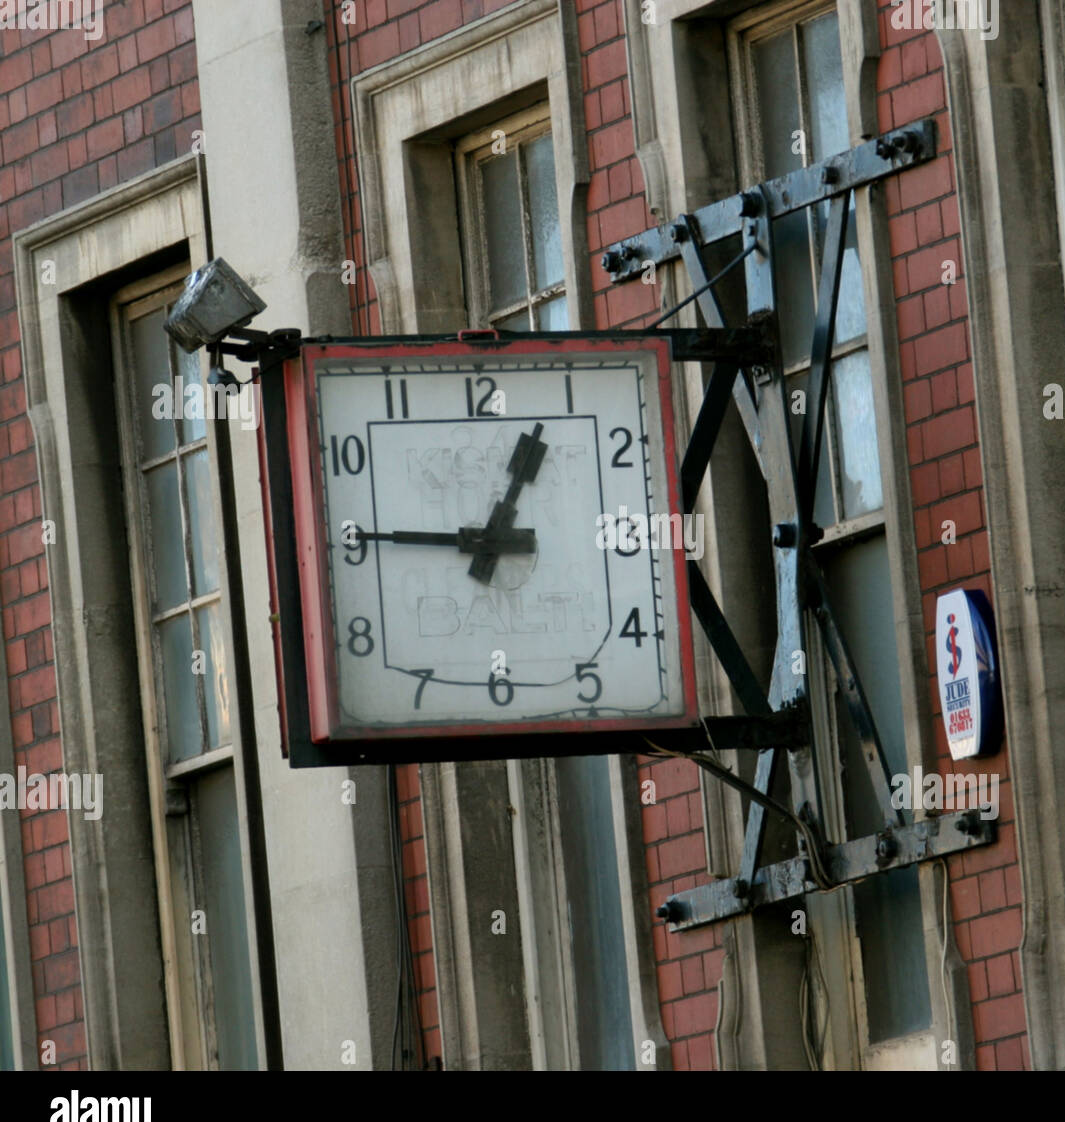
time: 12:45
